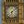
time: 6:08
